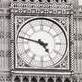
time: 4:47
